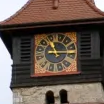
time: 11:14
